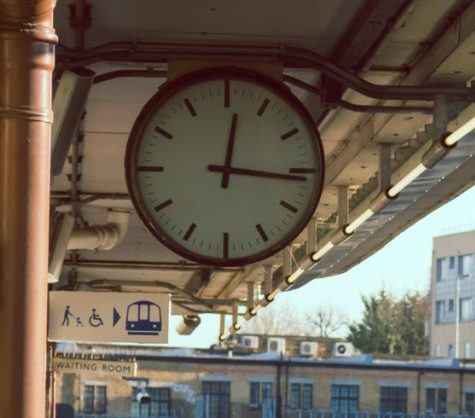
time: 12:16
